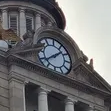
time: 1:38
